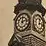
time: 12:12
